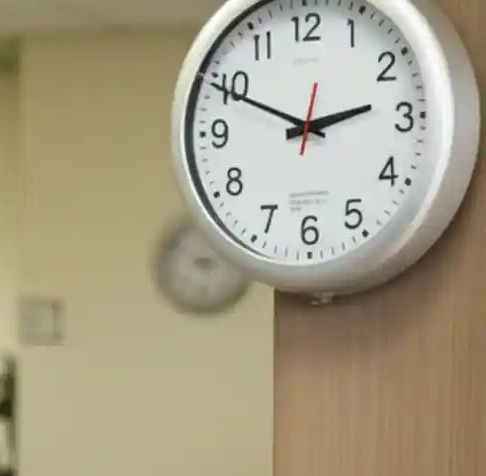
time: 2:49
